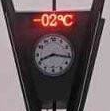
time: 8:16
